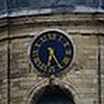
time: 6:24
